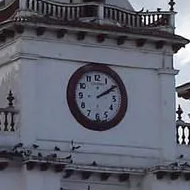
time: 2:09
